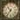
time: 10:36
